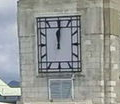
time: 12:00
